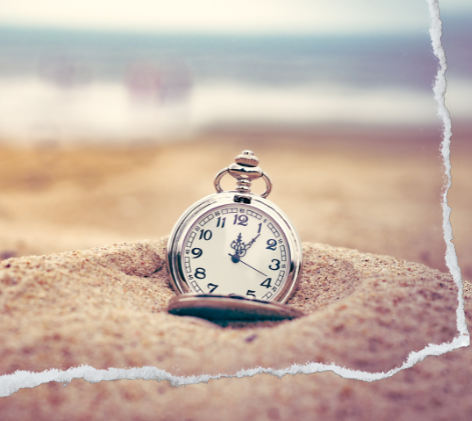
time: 12:06
